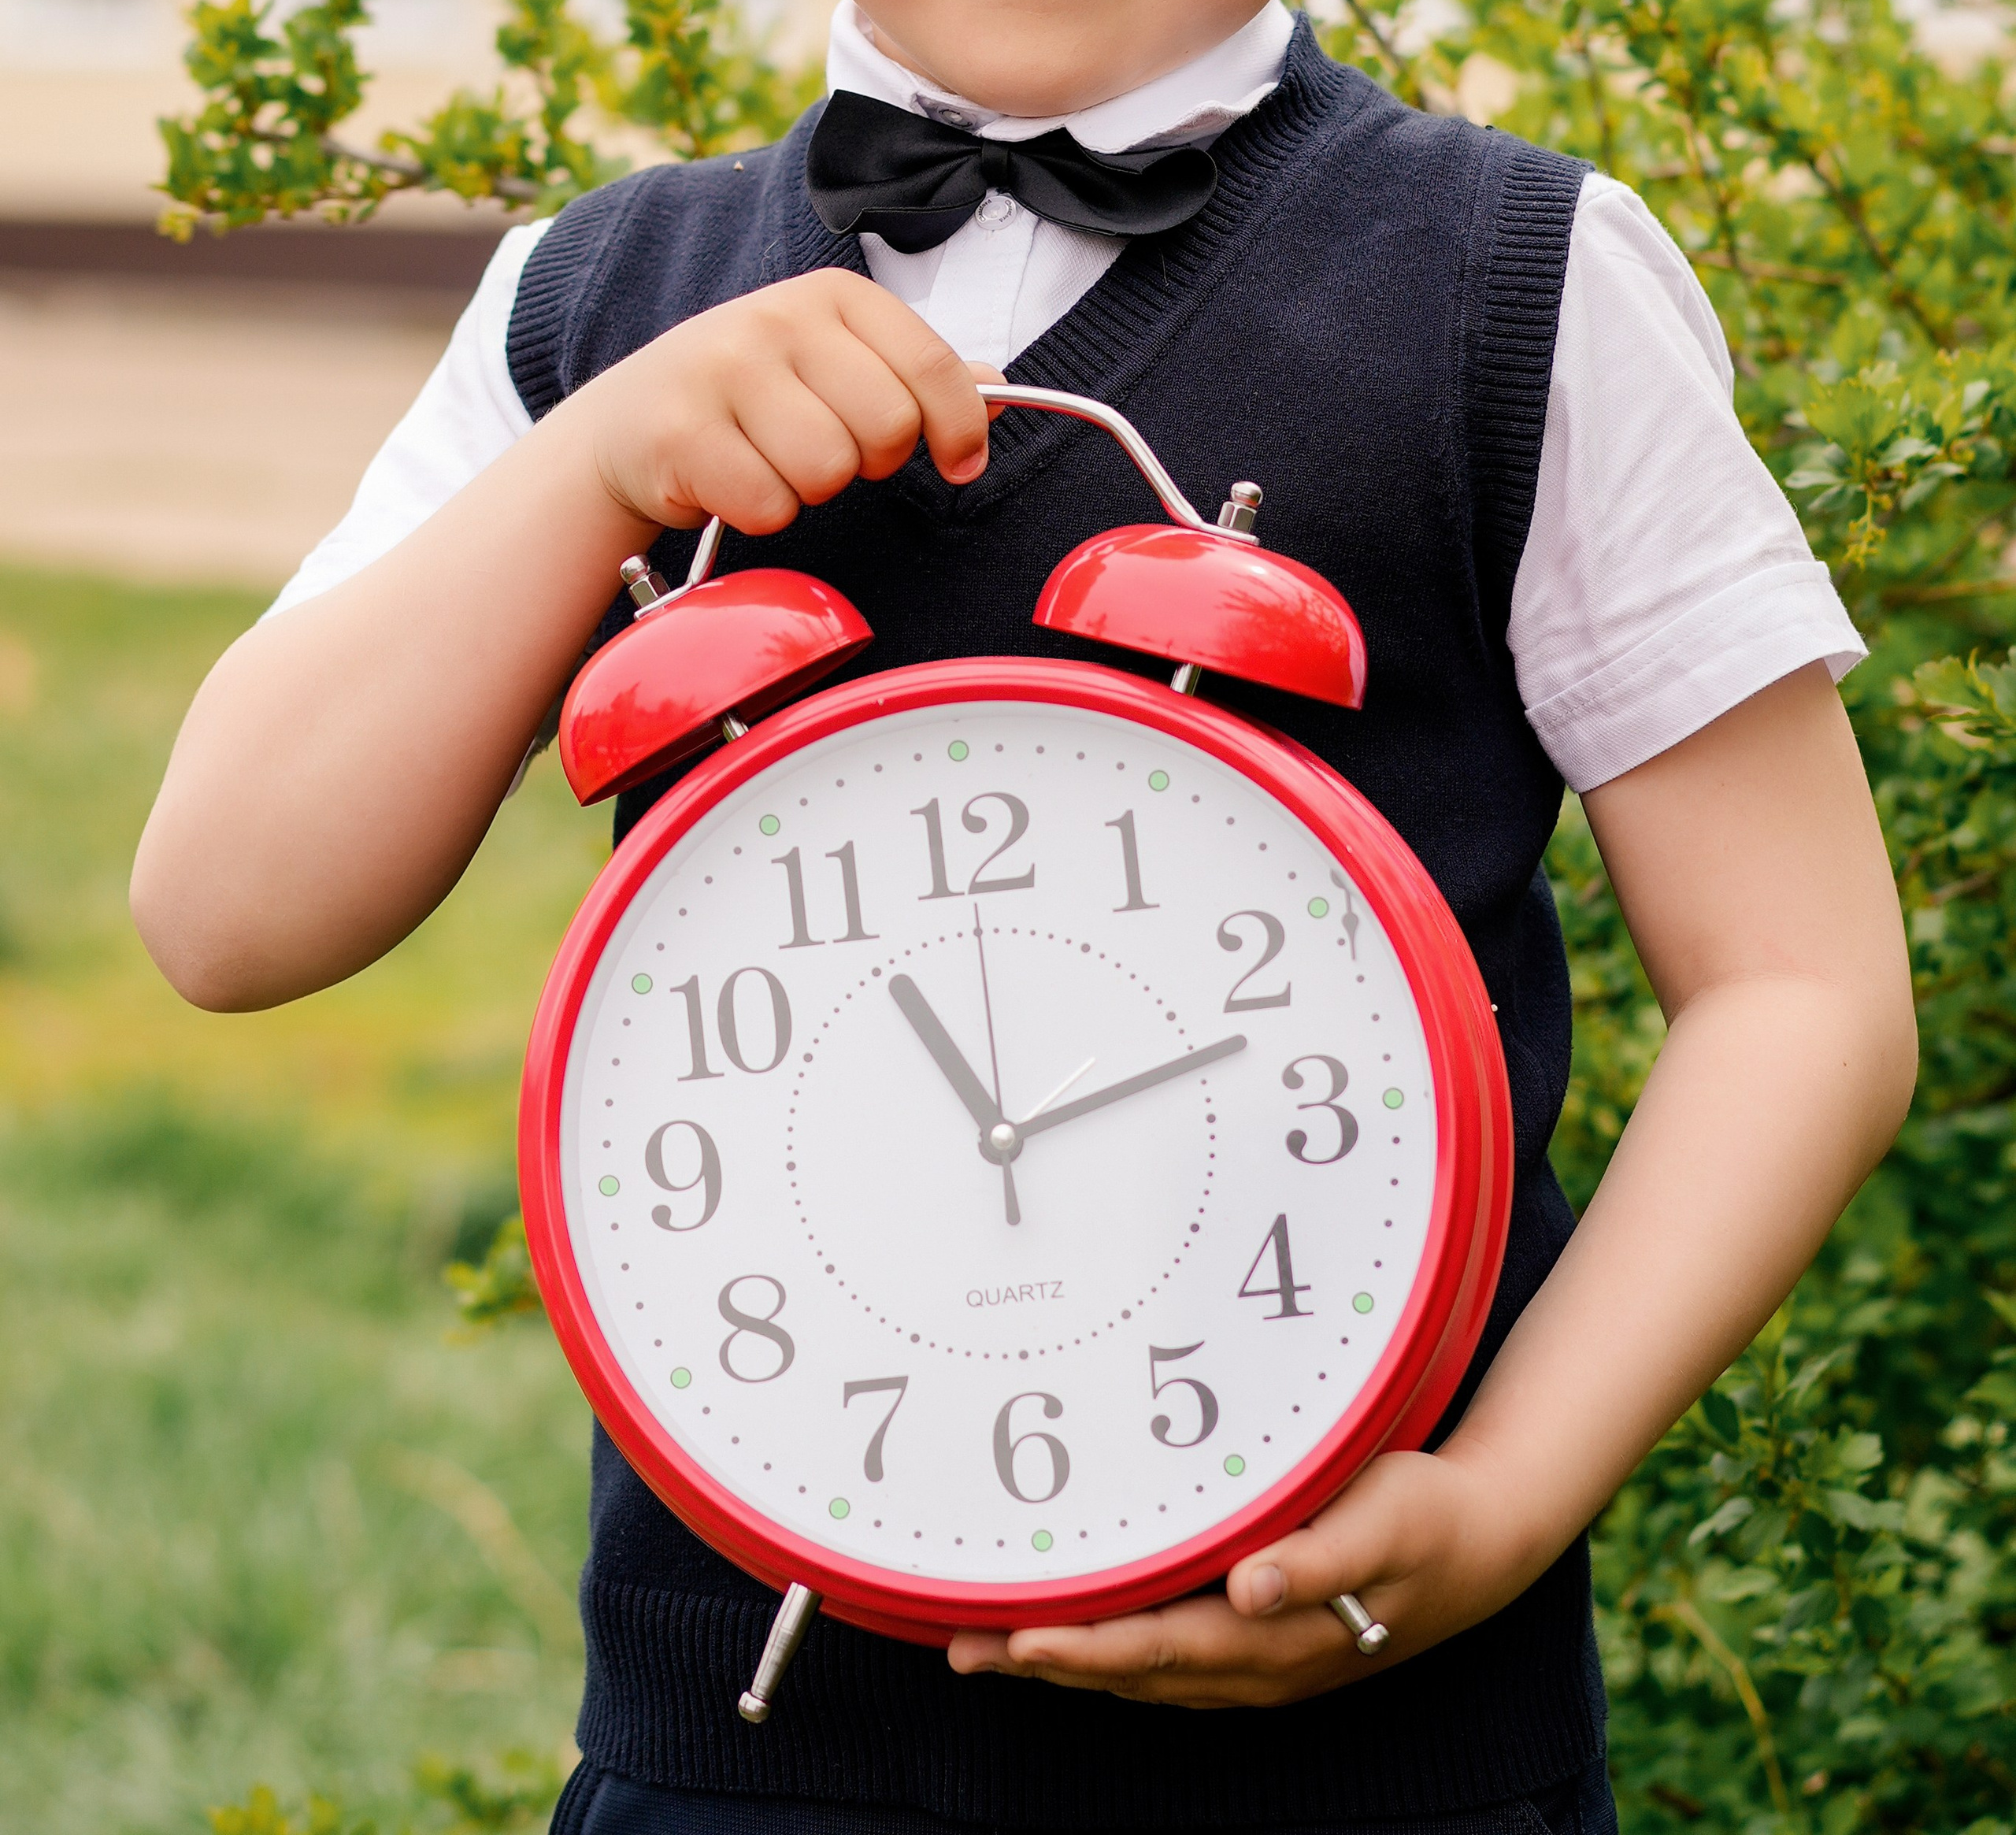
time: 11:12
